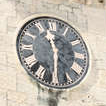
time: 11:30
